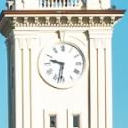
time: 9:31
